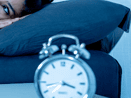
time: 3:42
